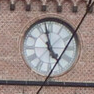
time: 4:57
